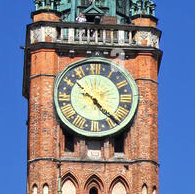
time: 4:21
